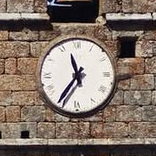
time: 11:35
